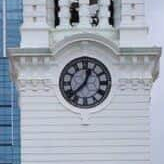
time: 12:37
